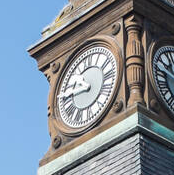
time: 9:45
